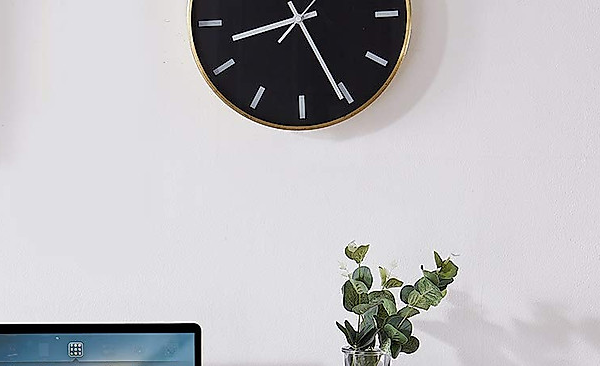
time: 8:25
